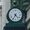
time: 4:34
